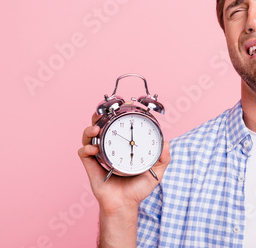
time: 6:00
